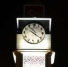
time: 10:21
